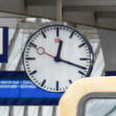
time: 12:18
